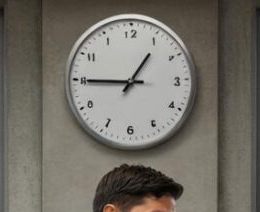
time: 12:45
